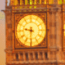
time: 9:31
